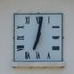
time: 7:01
